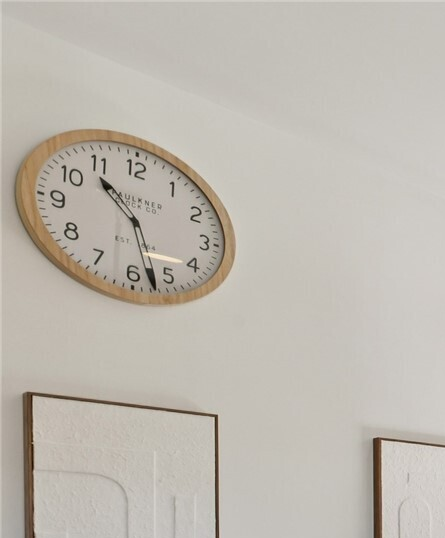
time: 10:27
